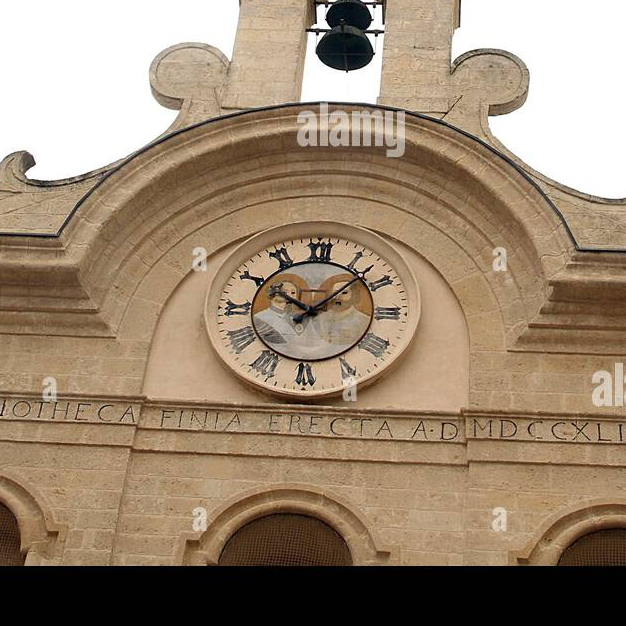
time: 10:07
